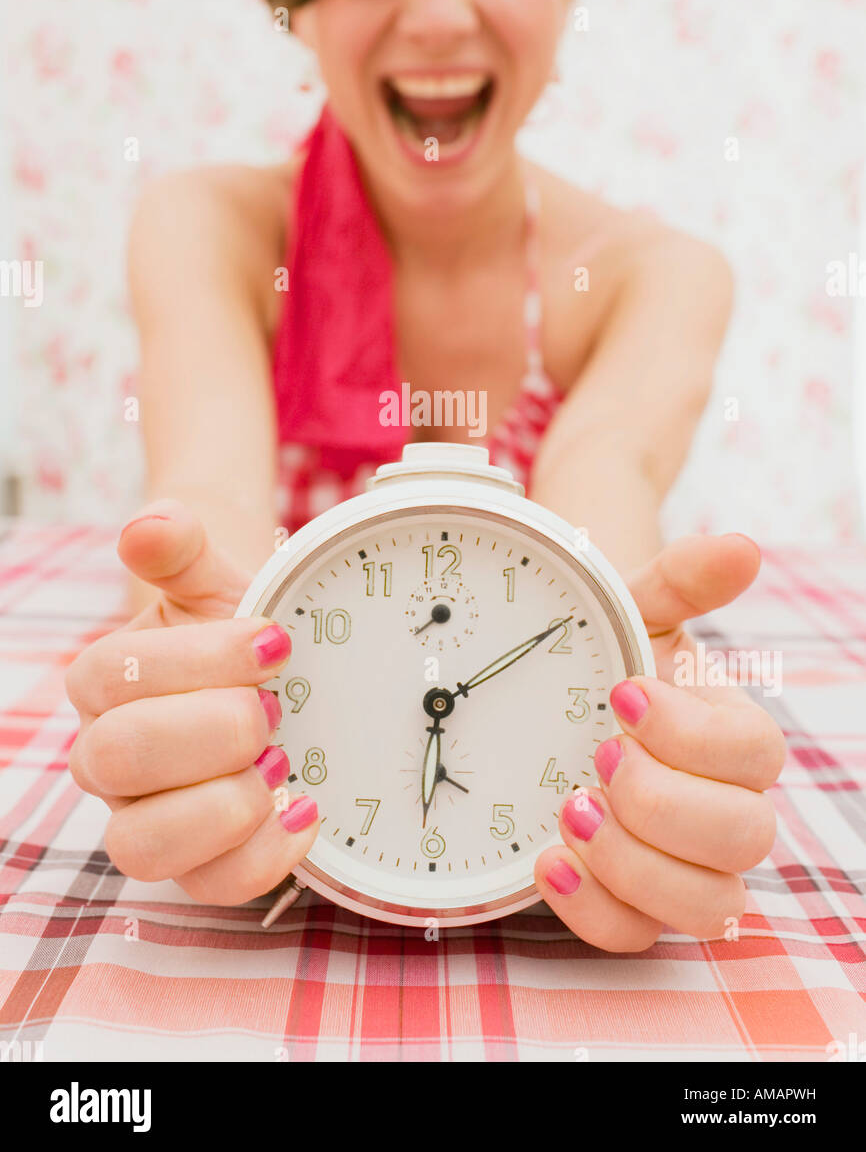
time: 6:09
